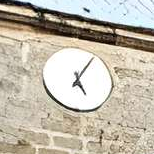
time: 5:05
